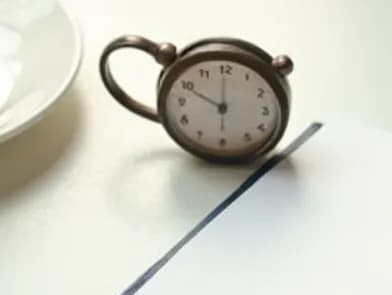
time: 10:00
